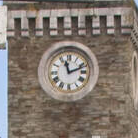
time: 11:11
